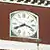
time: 3:40
